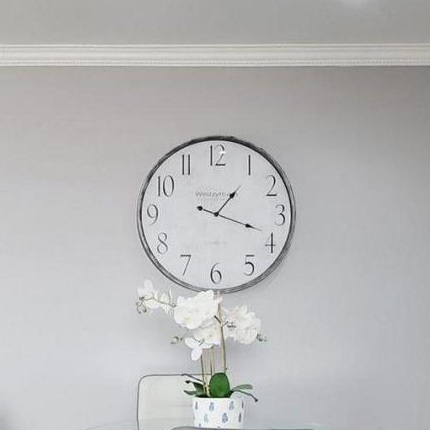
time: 1:18
